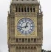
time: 12:42
